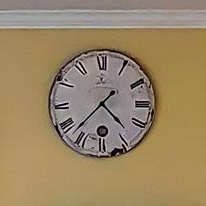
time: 4:37
